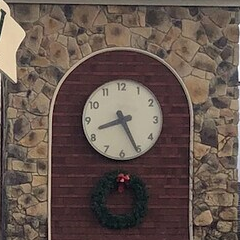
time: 8:25
